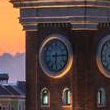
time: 6:14
